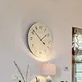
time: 1:51
